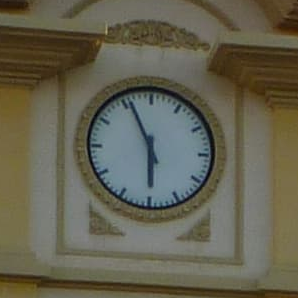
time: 5:55
